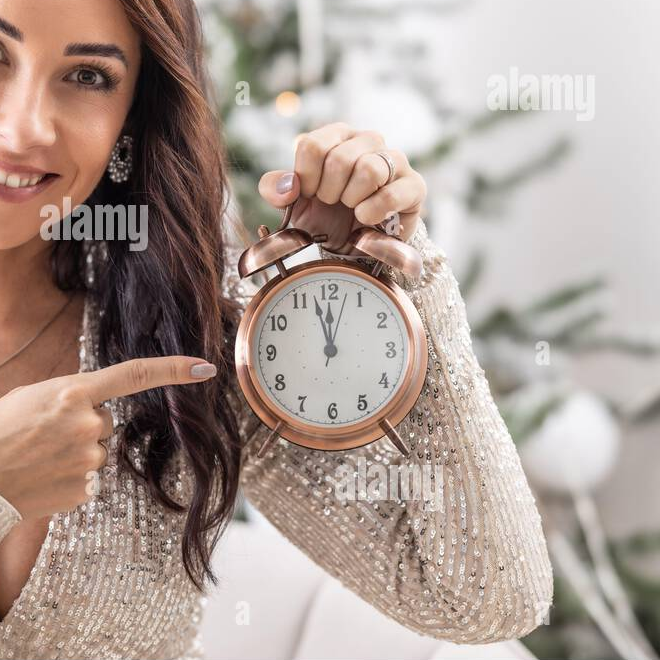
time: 11:57
